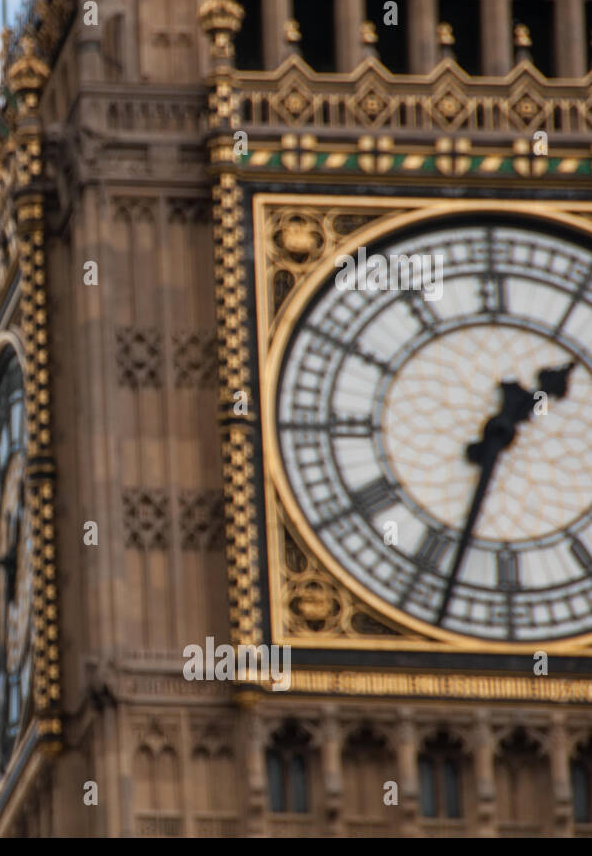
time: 1:33
